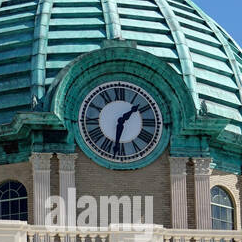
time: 1:32
